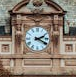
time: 2:19
